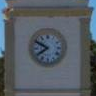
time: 7:49
